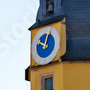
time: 10:02
